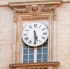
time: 5:29
